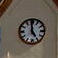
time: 4:59
